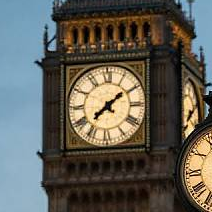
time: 1:37
